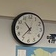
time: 10:36
